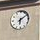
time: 6:08
